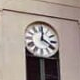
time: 4:01
